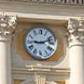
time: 9:11
